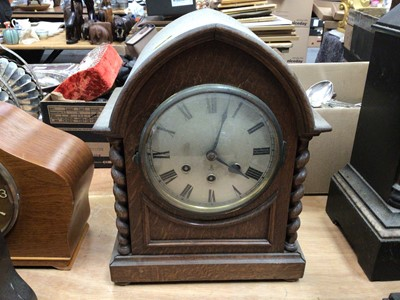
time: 4:03
